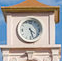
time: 4:27
